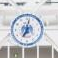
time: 7:02
